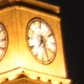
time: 7:25
